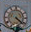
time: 4:21
